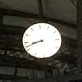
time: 8:42
